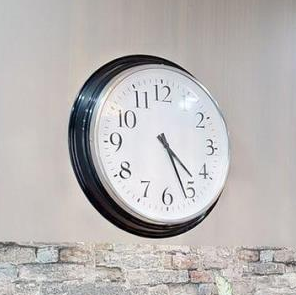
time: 4:26
